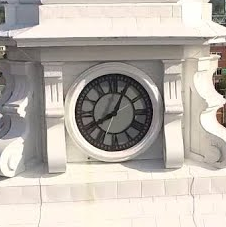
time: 8:04
